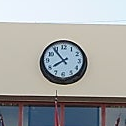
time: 7:53
